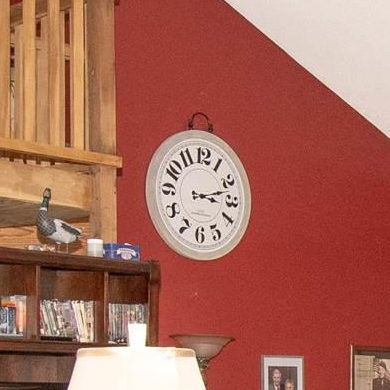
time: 3:12
